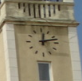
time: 12:12
